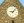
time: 9:07
